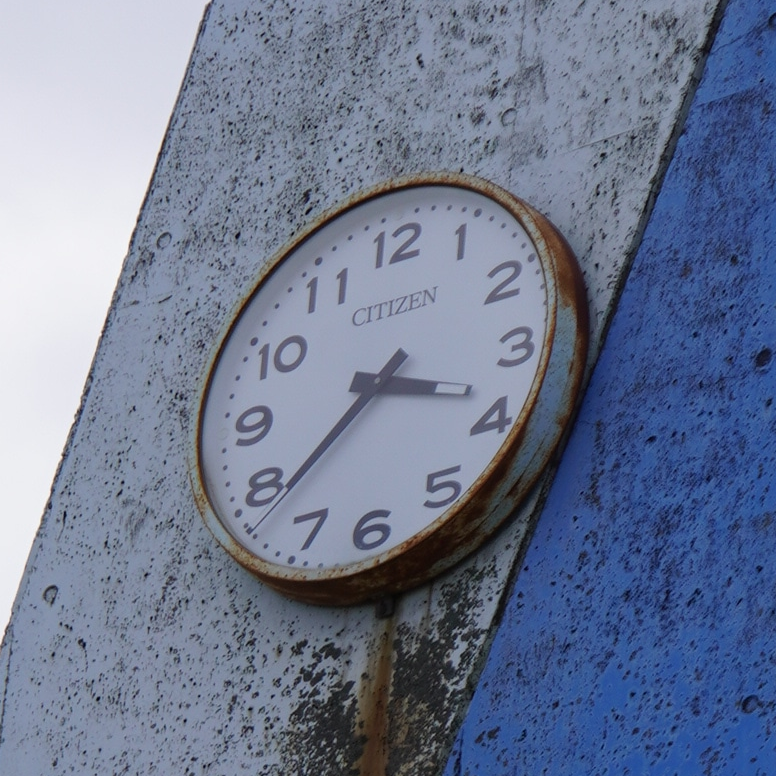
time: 3:38
